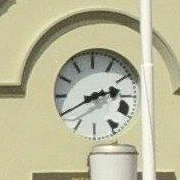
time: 2:40
